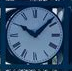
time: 10:07
